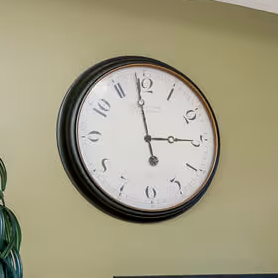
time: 2:58
